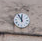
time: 11:54
